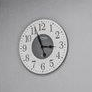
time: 2:56
